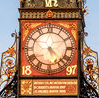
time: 5:22
